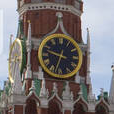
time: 9:33
